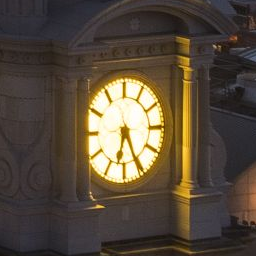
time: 6:25
